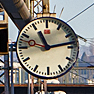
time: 11:13
